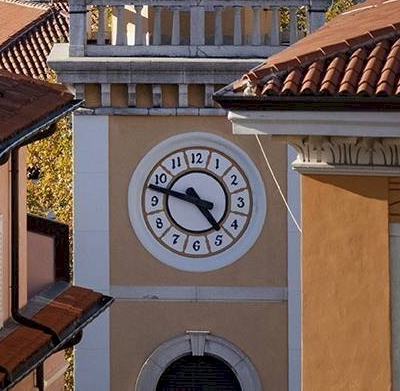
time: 4:47
